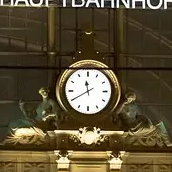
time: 11:40
